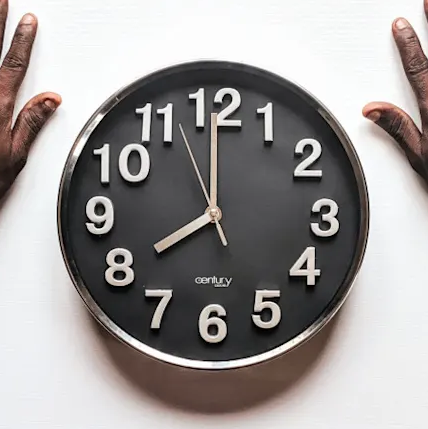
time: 7:59
